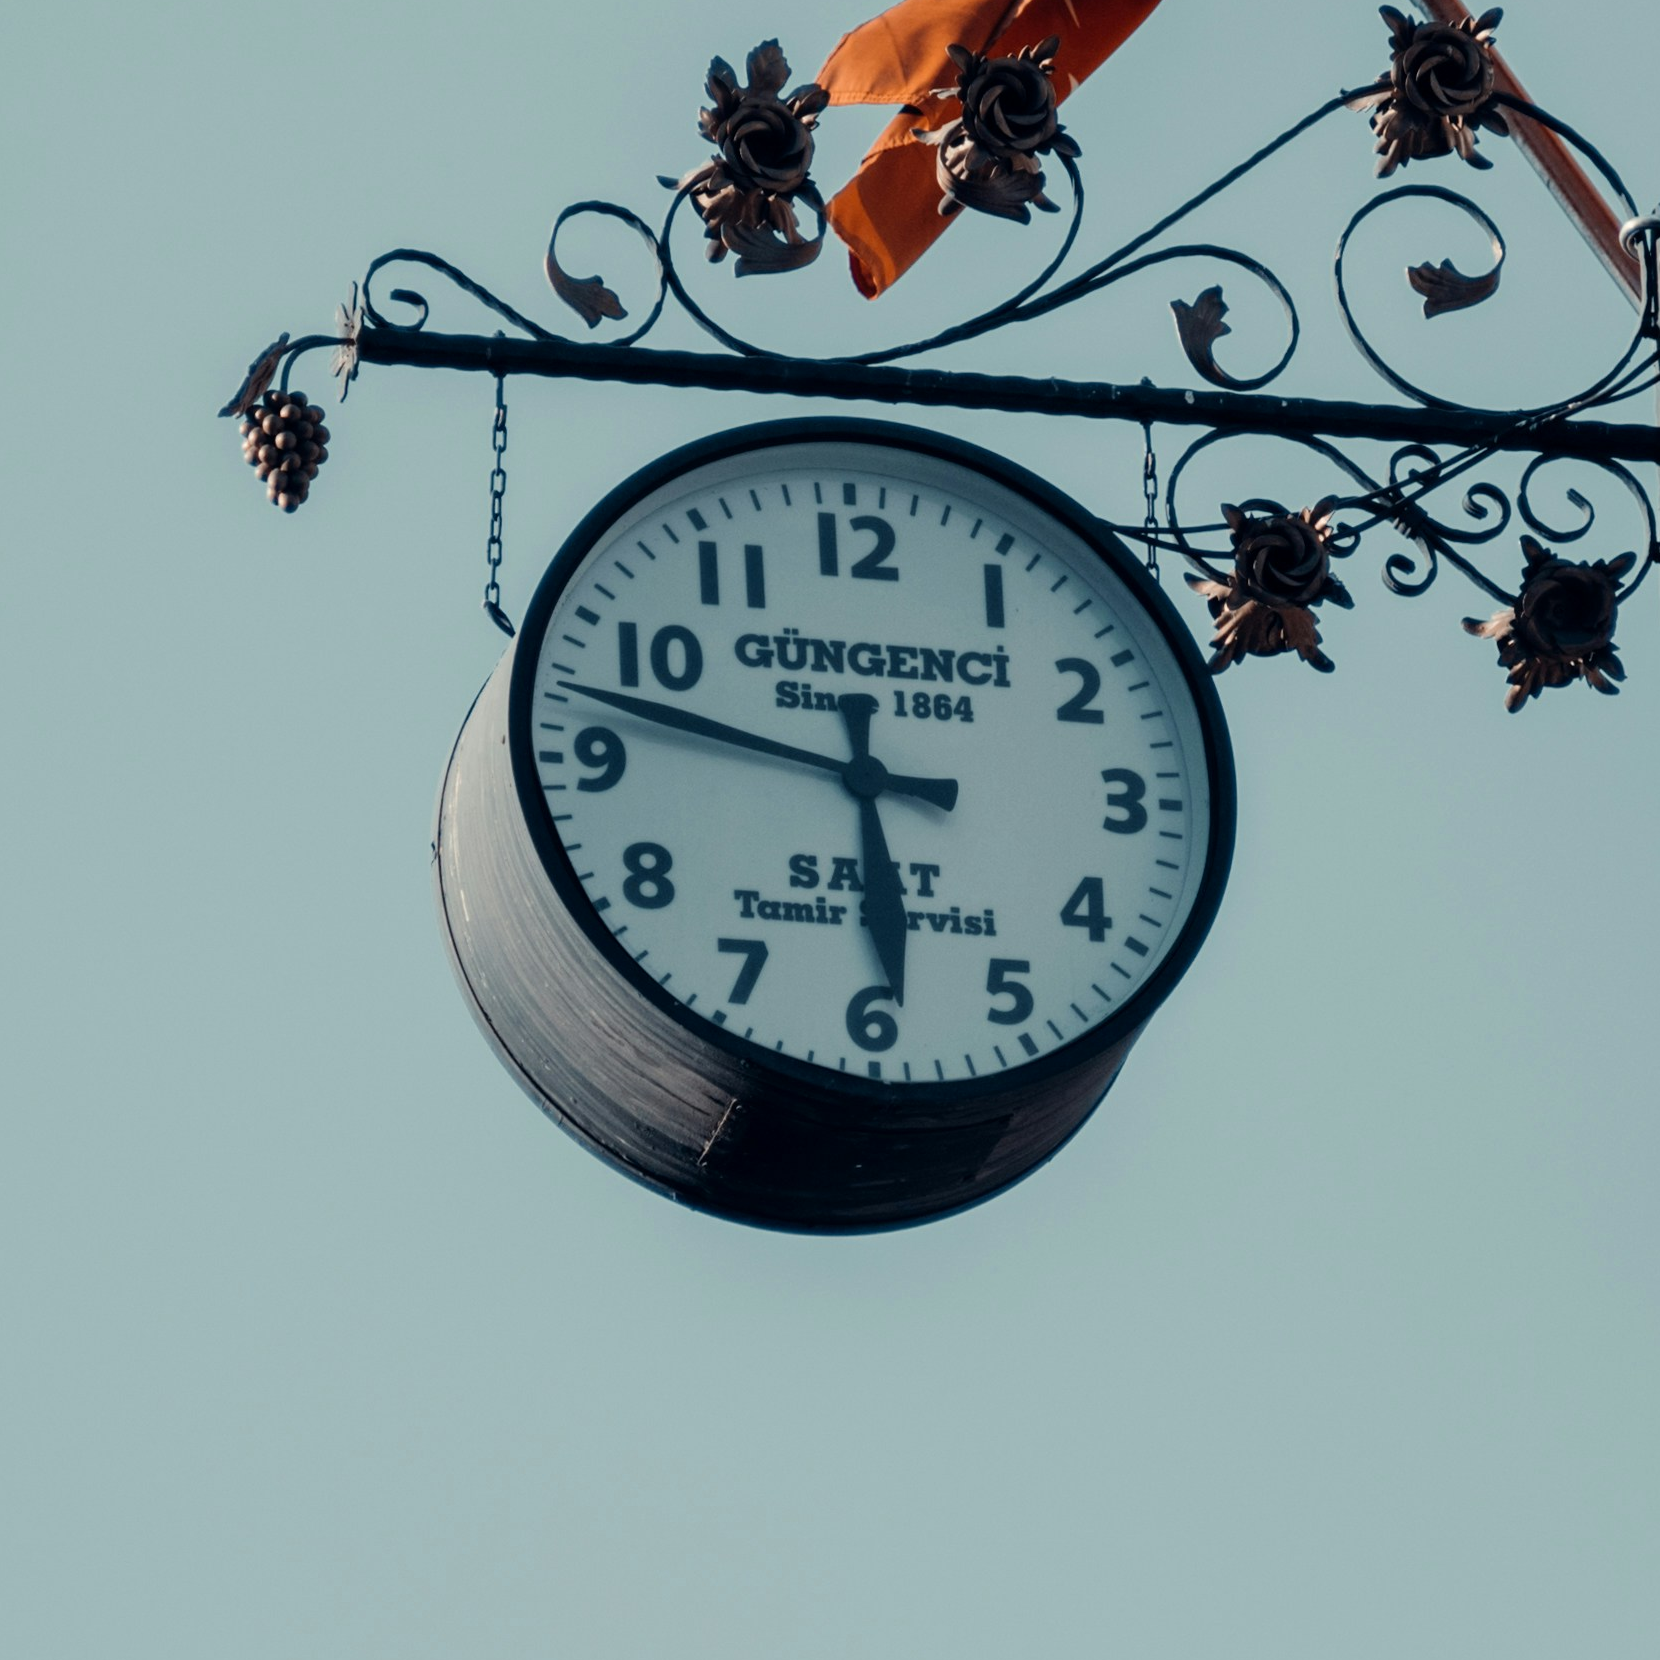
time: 5:47
